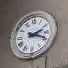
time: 2:18
